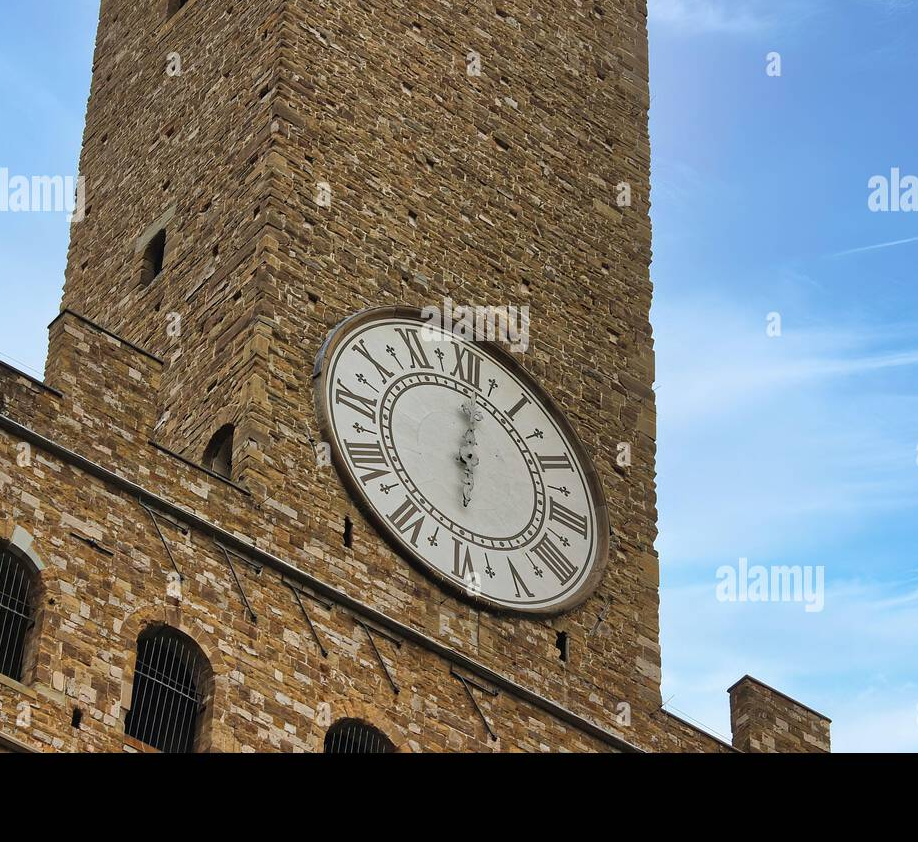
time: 12:00
